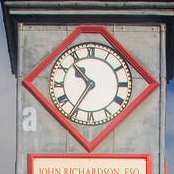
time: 10:35
